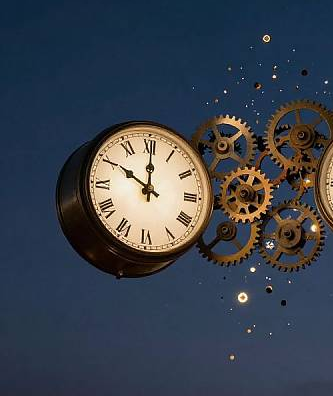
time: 10:00
